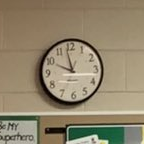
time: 9:58
